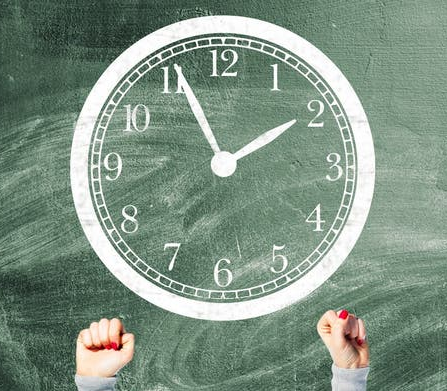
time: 1:56
